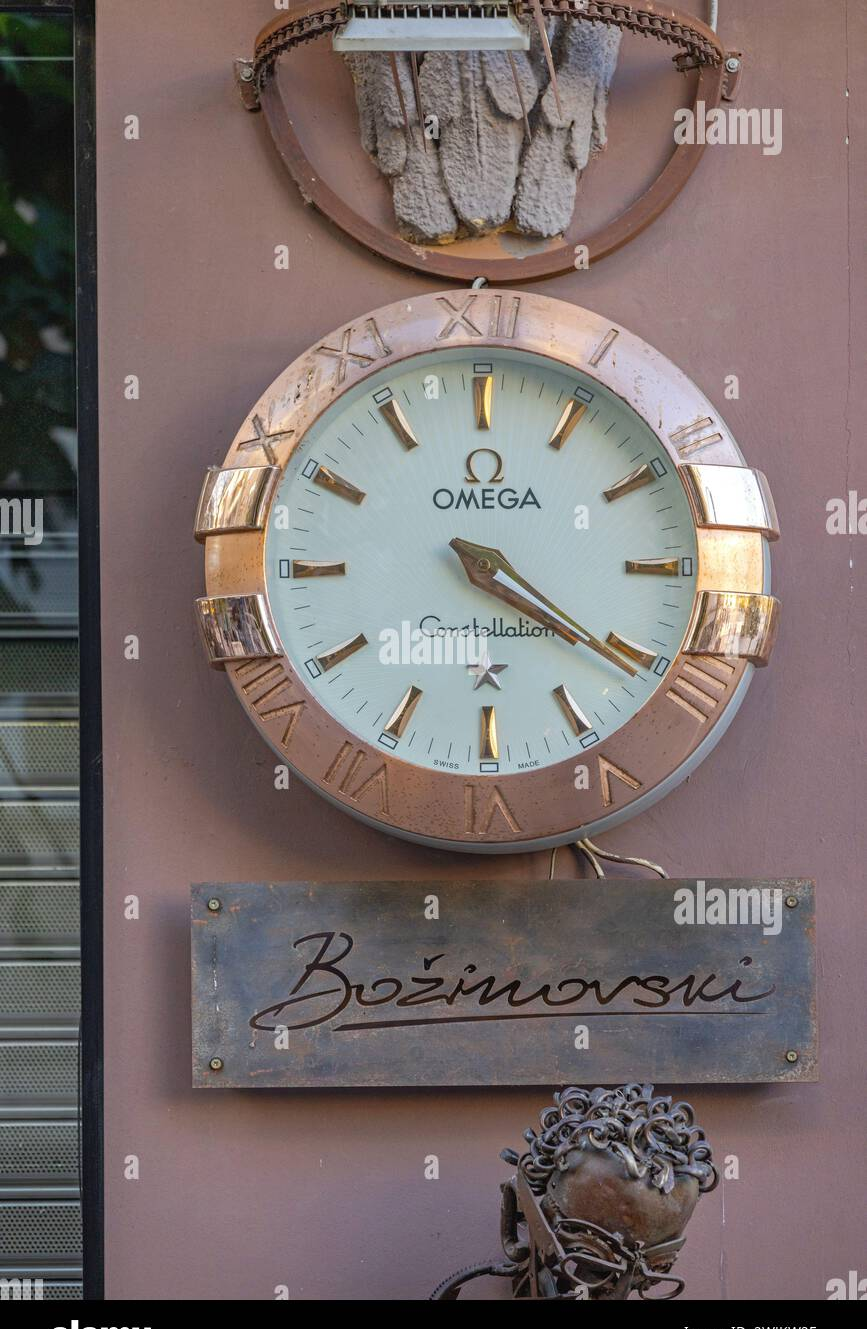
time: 4:20
